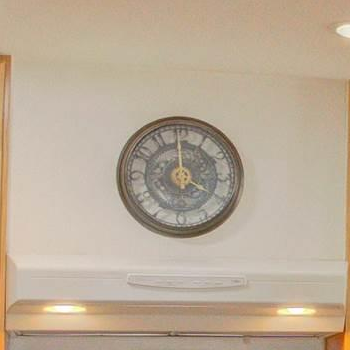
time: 3:59
